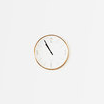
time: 10:55
